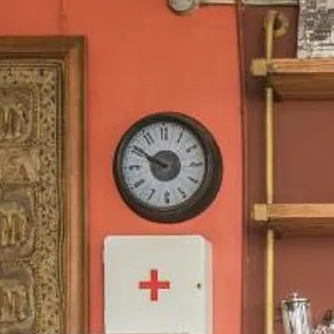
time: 9:50
